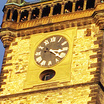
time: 3:22
